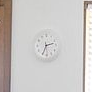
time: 2:34
